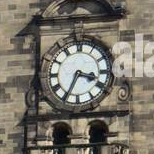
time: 3:34
